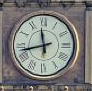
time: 11:42
